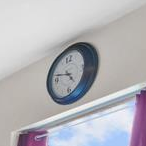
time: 4:47
